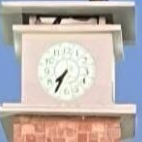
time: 7:35
